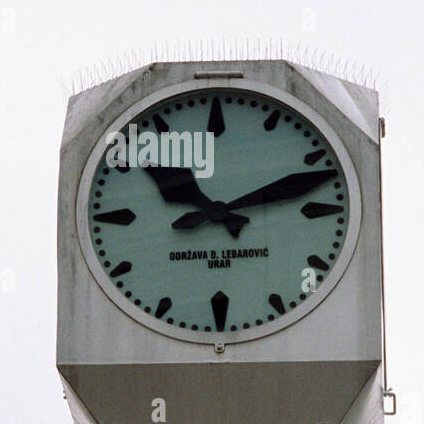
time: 10:11
